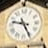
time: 9:25
